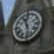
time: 11:28
